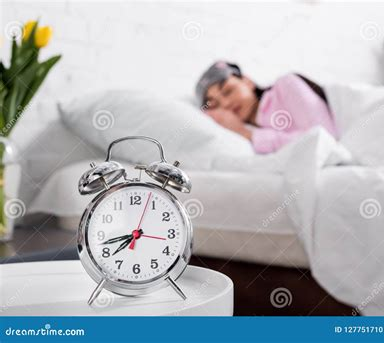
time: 7:42
